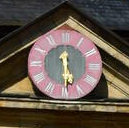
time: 5:29
